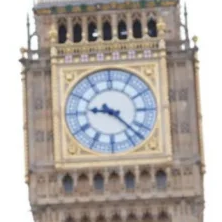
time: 9:22
